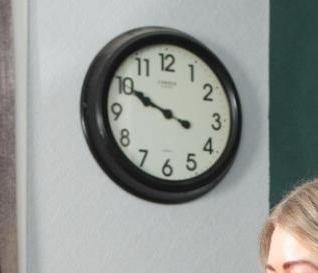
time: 3:49
